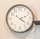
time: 2:21
